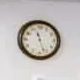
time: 11:26
